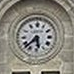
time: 5:37
